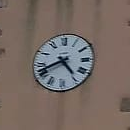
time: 4:41
